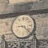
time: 9:22
